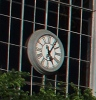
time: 5:06
